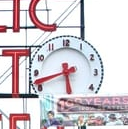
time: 5:42
